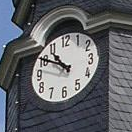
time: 10:50
